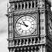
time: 10:48
